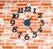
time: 1:24
